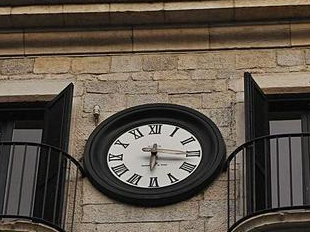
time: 12:16
